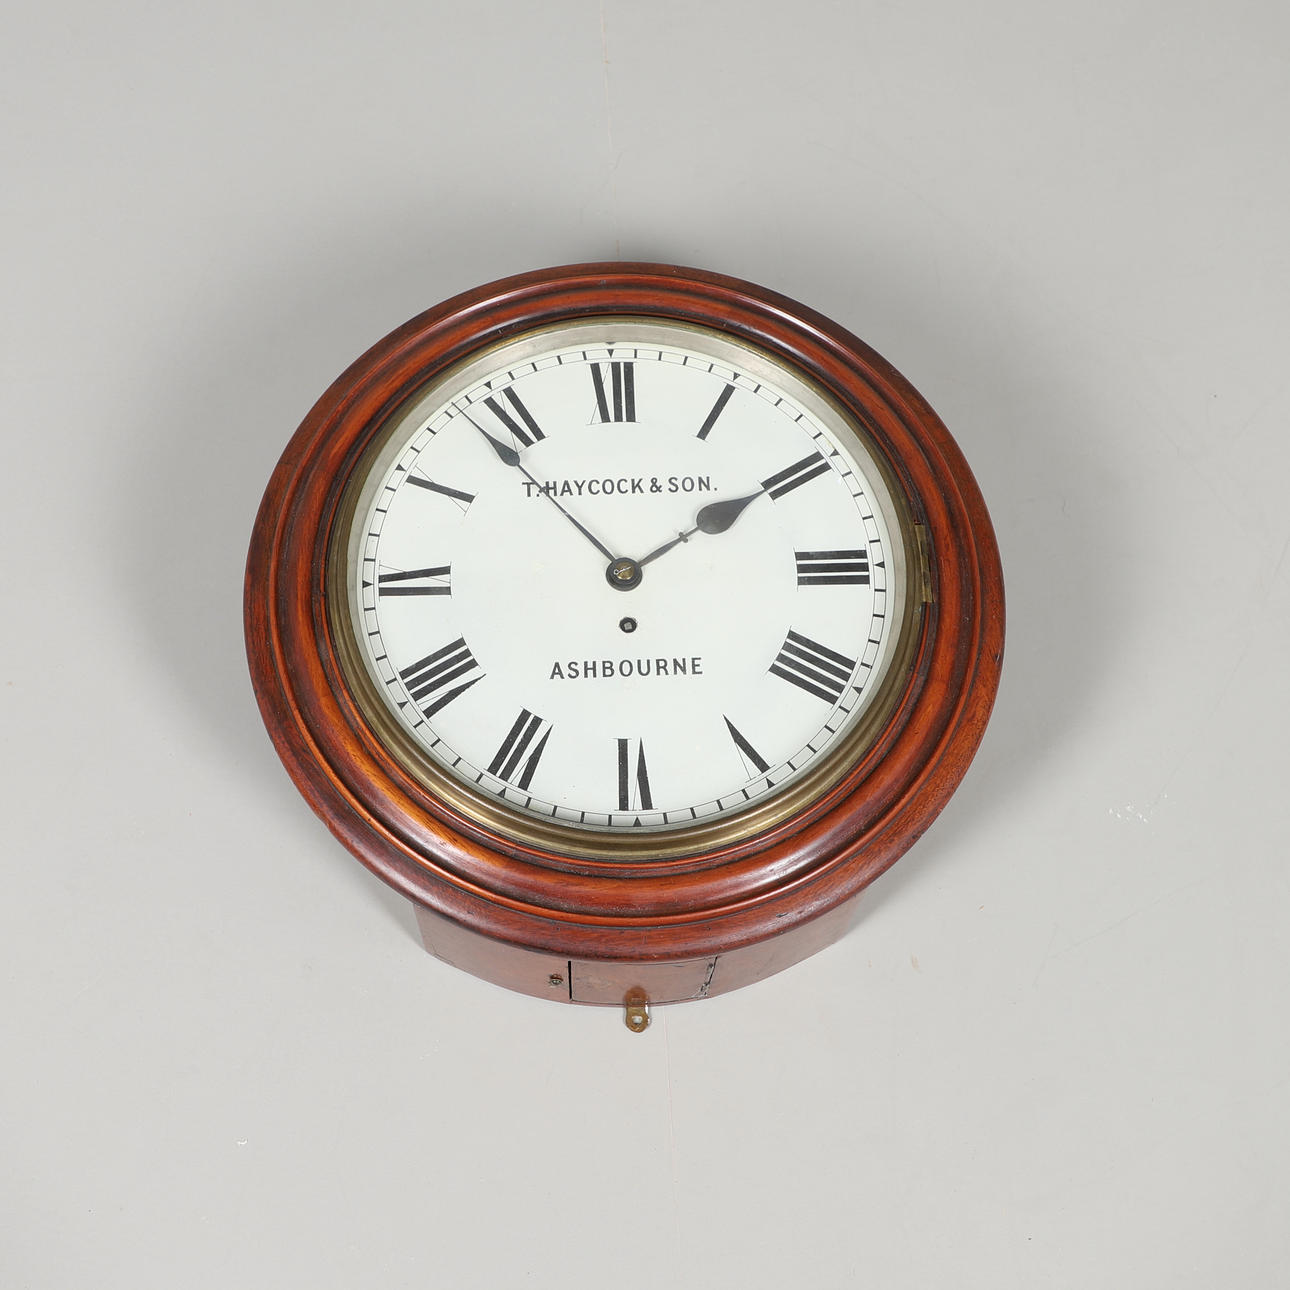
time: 1:53
